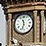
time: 11:32
